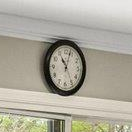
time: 11:03
